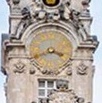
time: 3:40
